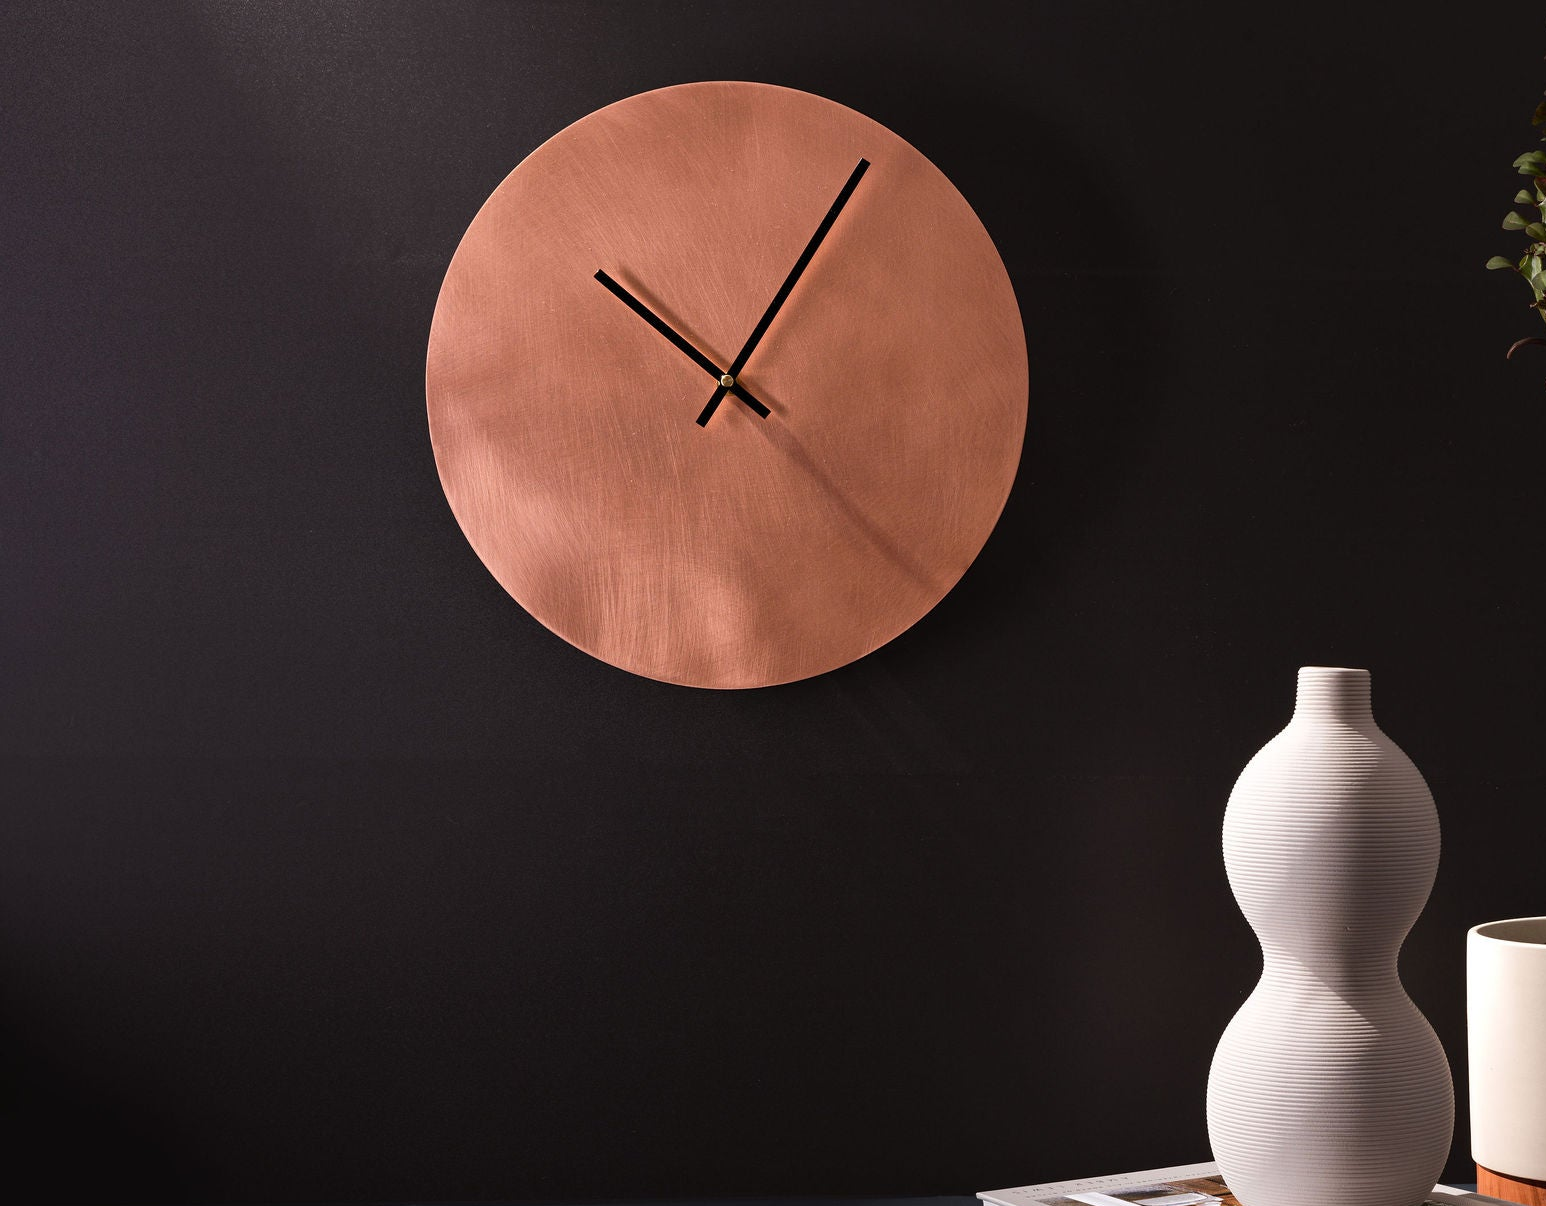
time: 10:05
